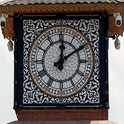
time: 12:09
